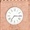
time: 7:15
